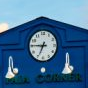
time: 6:45
